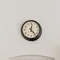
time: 12:22
